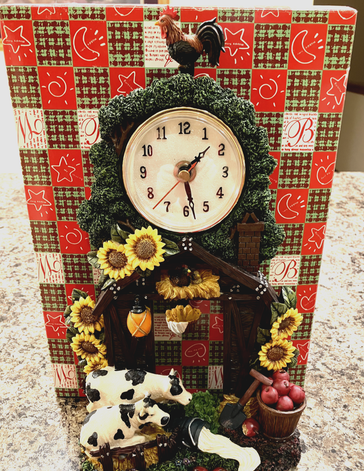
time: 1:27
